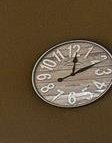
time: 12:10
